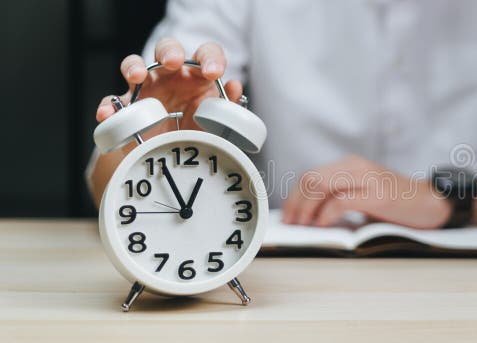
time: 12:55
